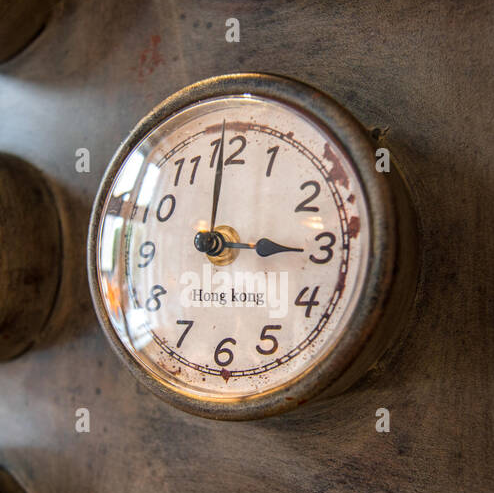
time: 3:00
